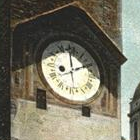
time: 1:59
